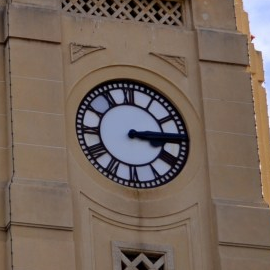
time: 3:14
